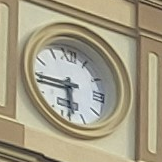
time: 5:44
